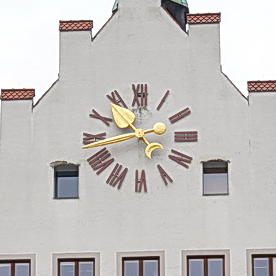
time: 10:42
